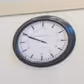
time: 9:49
